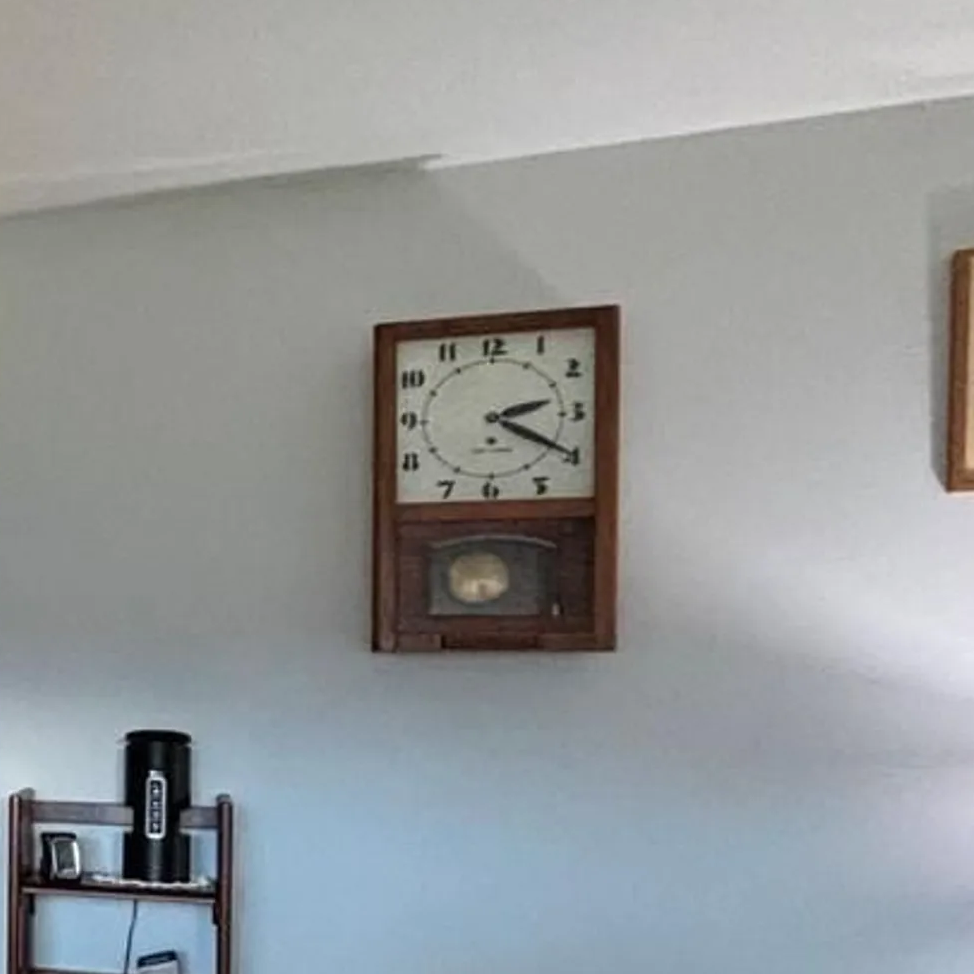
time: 2:19
